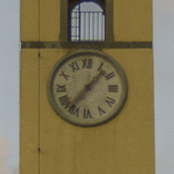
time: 1:36
